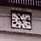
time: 11:13
